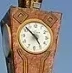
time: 4:52
